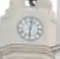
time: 6:01
